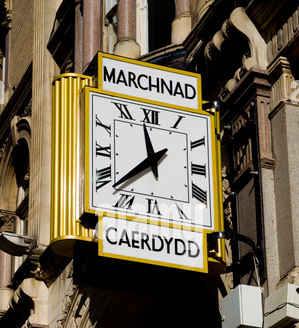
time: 11:37
